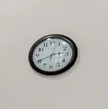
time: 2:40
